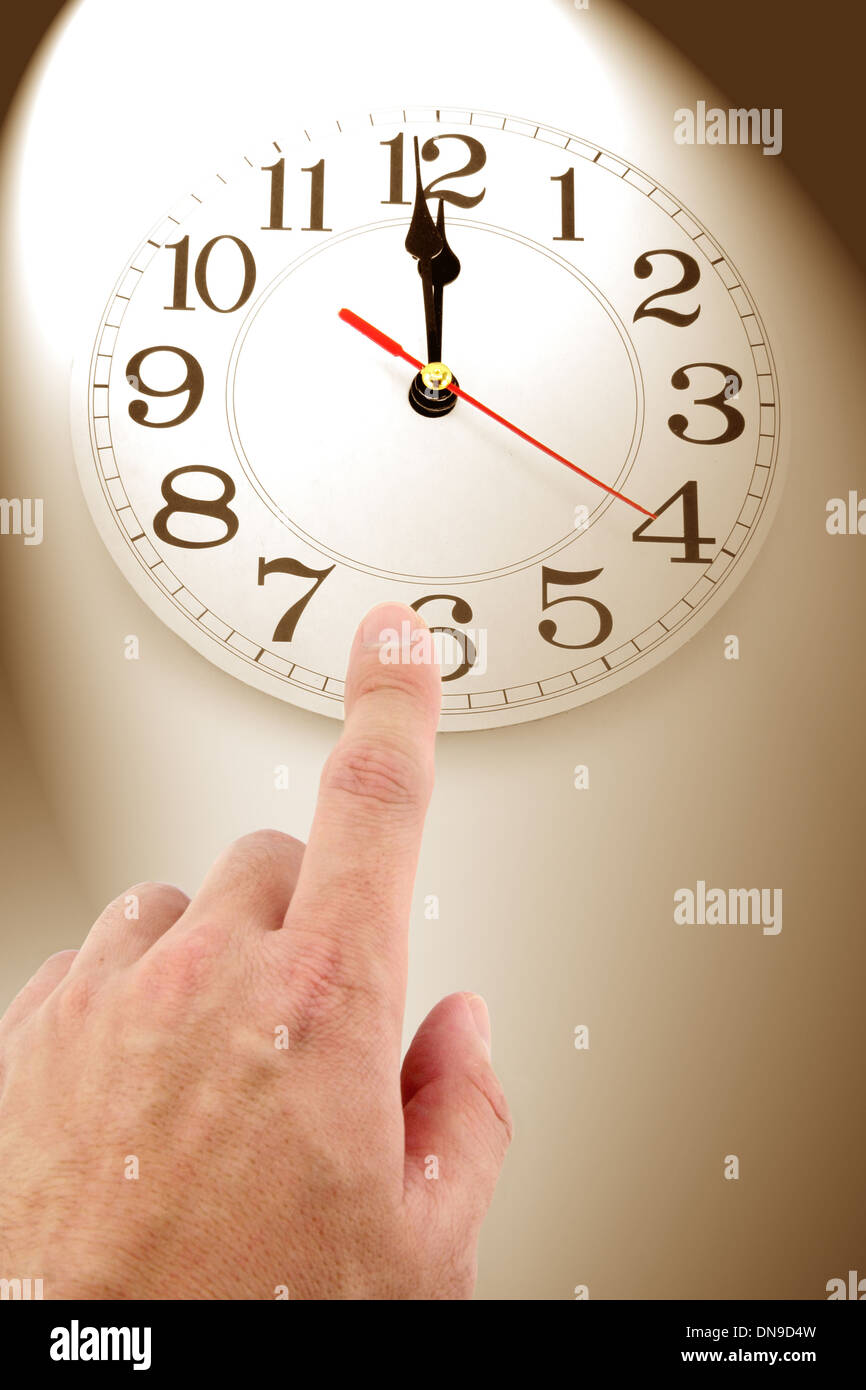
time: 11:59
